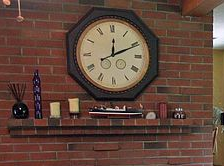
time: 12:10
